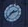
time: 2:38
